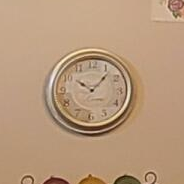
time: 10:07
